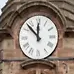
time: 11:52
